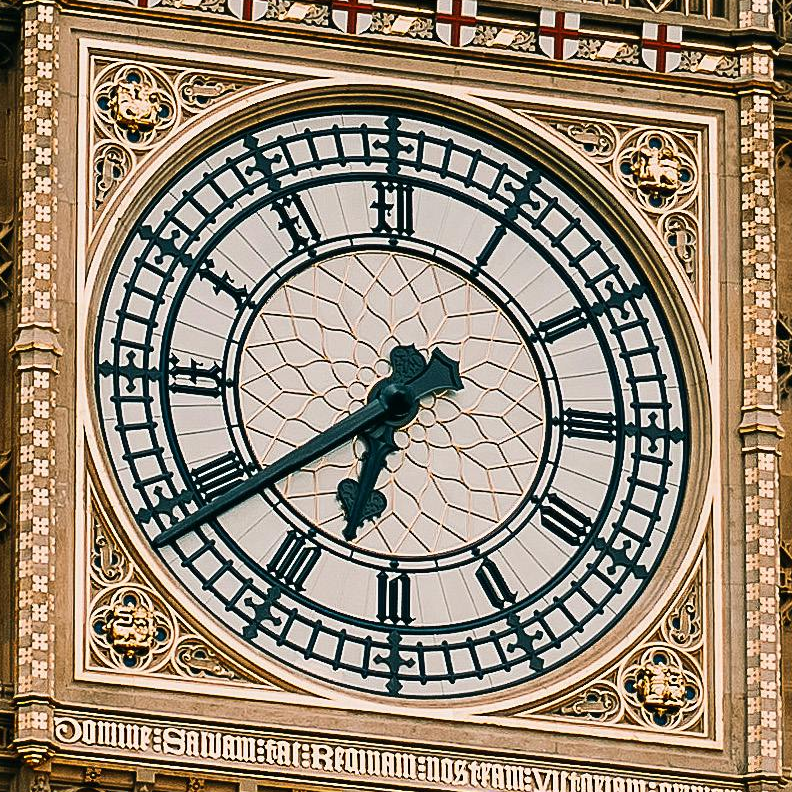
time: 6:38
